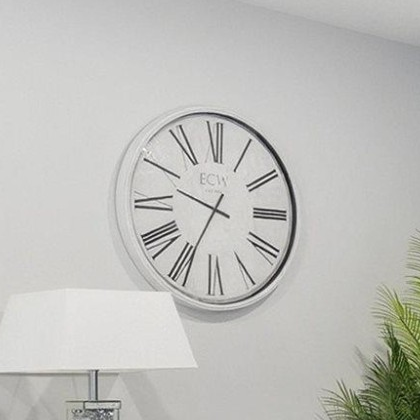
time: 9:34
